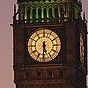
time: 5:30
